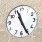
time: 11:25
